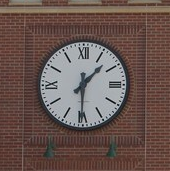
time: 1:30
